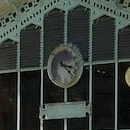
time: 3:22
